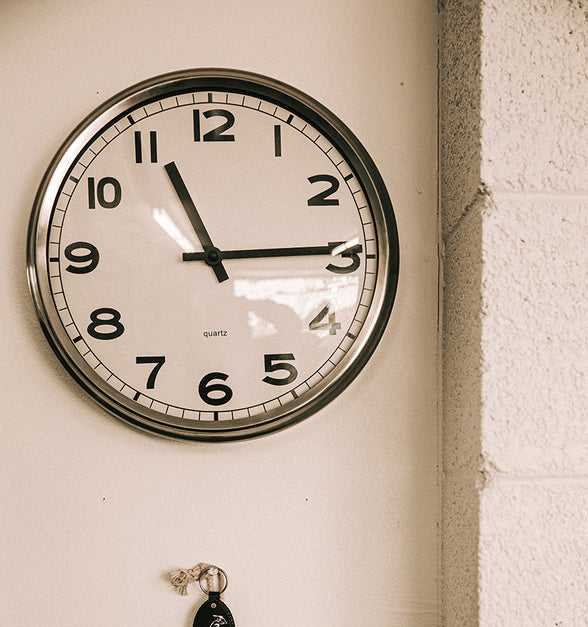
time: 11:14
